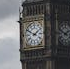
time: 1:49
